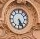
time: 5:24
